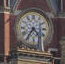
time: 4:35
